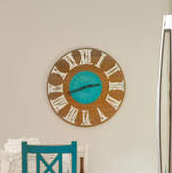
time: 2:42
